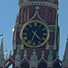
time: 4:33
